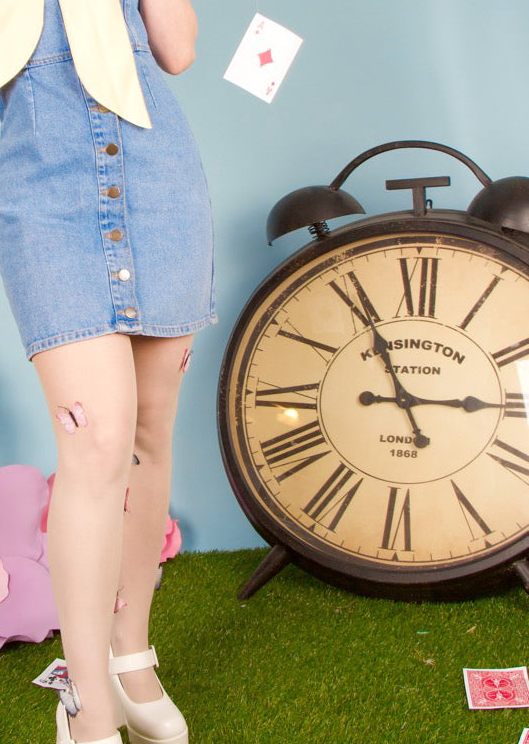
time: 2:55
